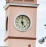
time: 4:59
